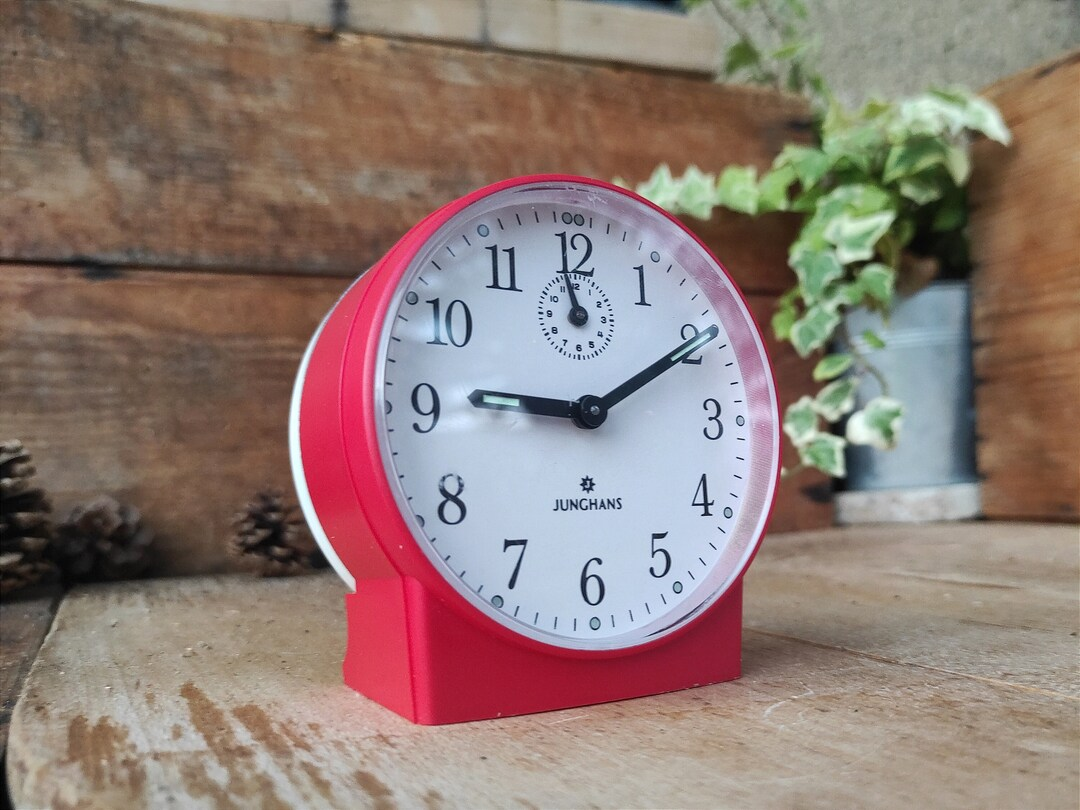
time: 9:10
